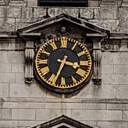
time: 3:33
